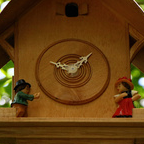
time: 9:07
